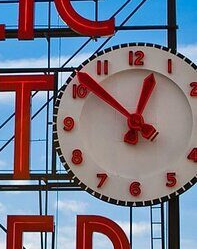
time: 12:51
